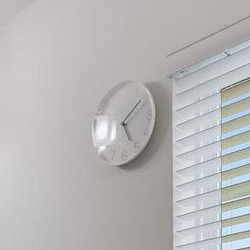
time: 5:08
